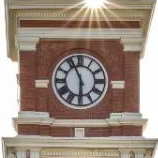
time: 5:55
